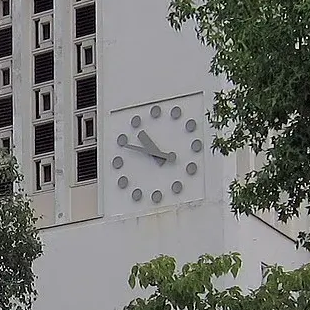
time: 10:49
